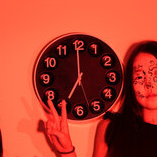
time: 7:00
